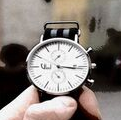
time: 3:15
